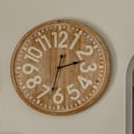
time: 2:32
